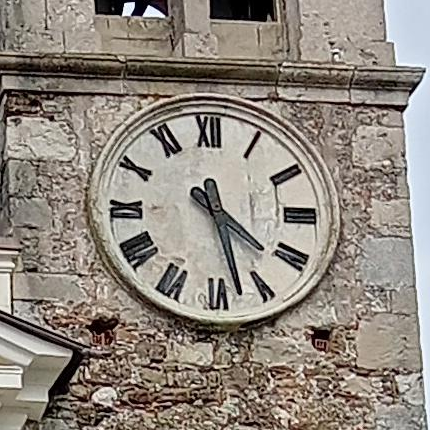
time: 4:27
